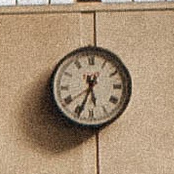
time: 5:34
